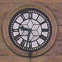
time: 9:32
